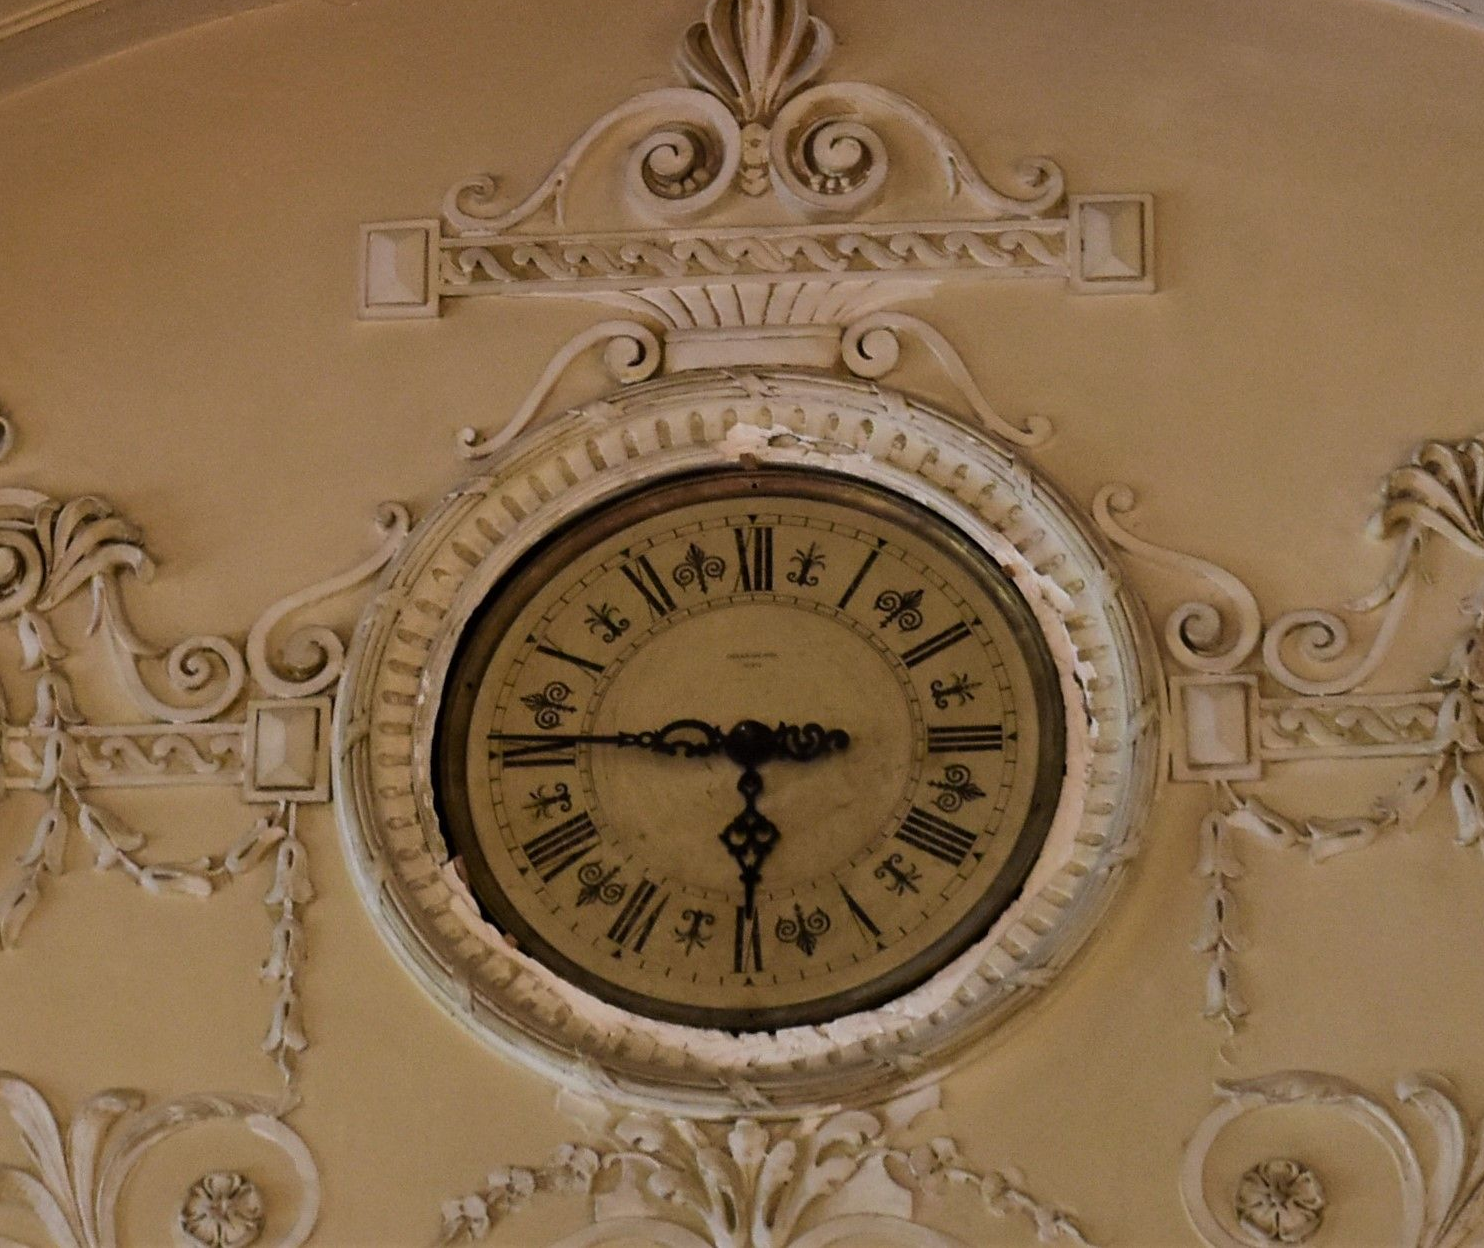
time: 5:45
